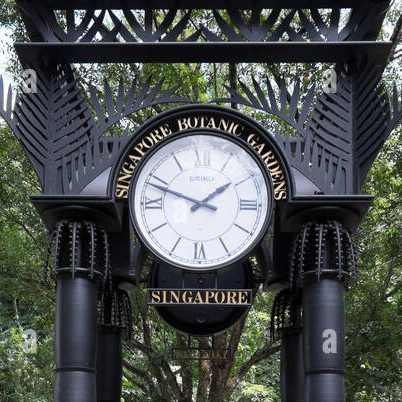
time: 1:48
